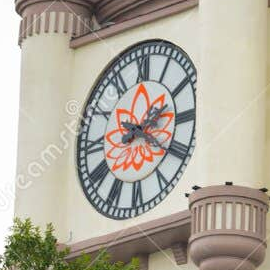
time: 2:20
